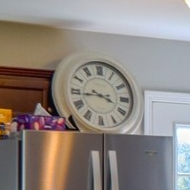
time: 3:43
